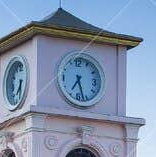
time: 7:27
